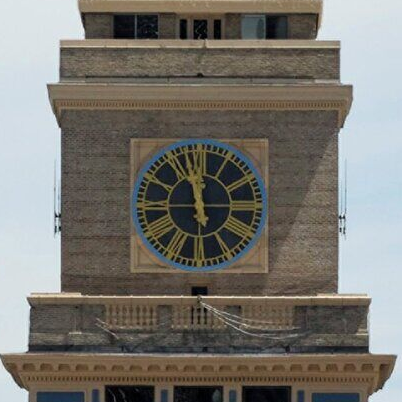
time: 11:57
